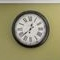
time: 12:38
